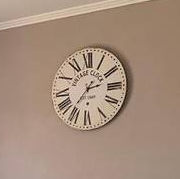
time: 2:36
